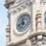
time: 11:41
